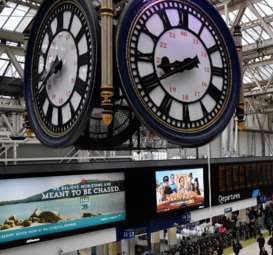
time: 8:40
